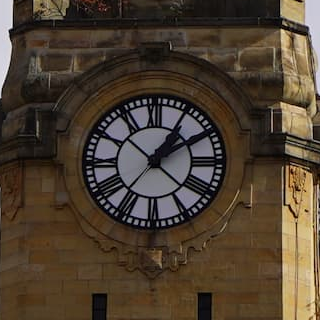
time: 1:09
